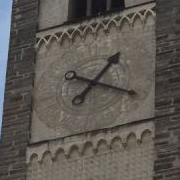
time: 1:18
